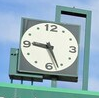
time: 9:26
